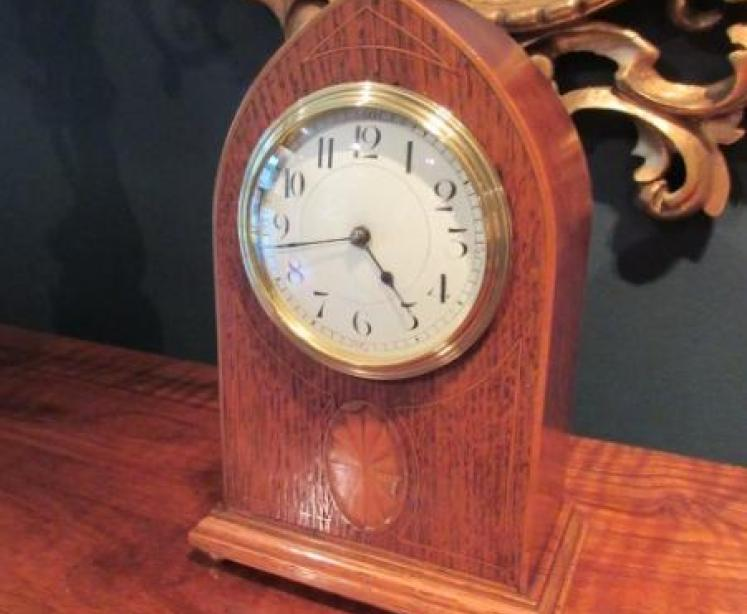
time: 4:42
